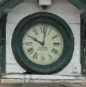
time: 10:01
